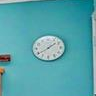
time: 1:39
